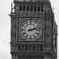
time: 2:12
